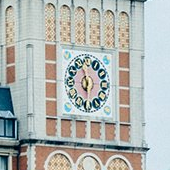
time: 5:57
